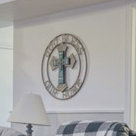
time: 12:28
